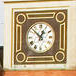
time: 12:52
